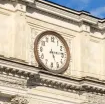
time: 5:14
